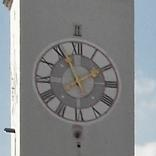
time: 1:56
